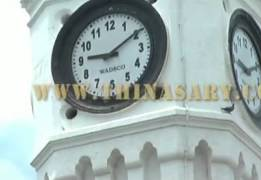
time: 9:09
